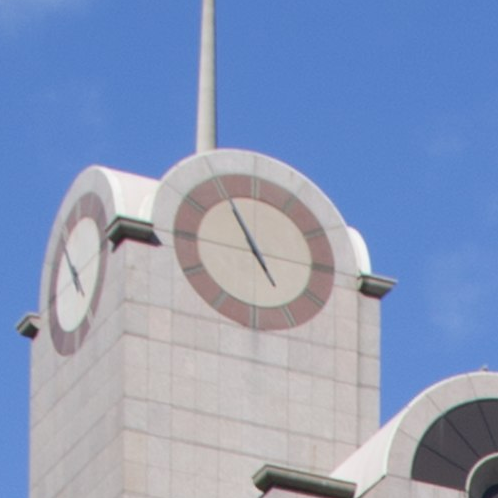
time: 4:55
